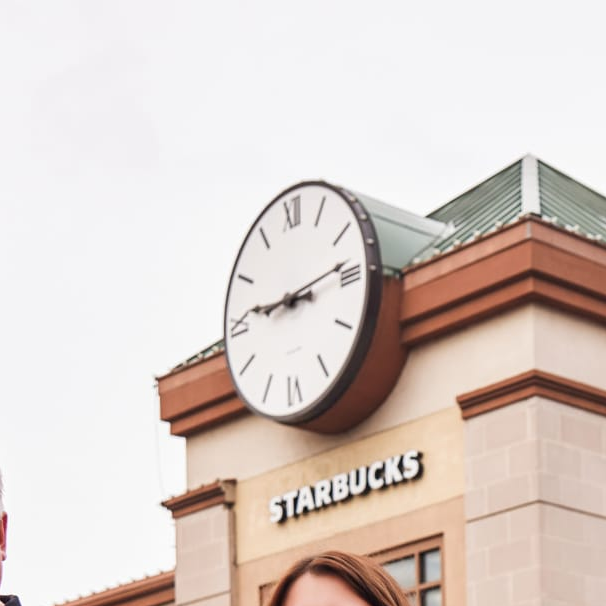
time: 9:13
